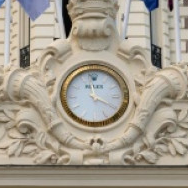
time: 3:58
